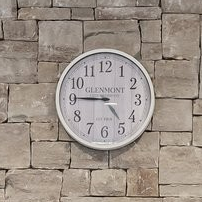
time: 4:45
